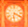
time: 6:19
